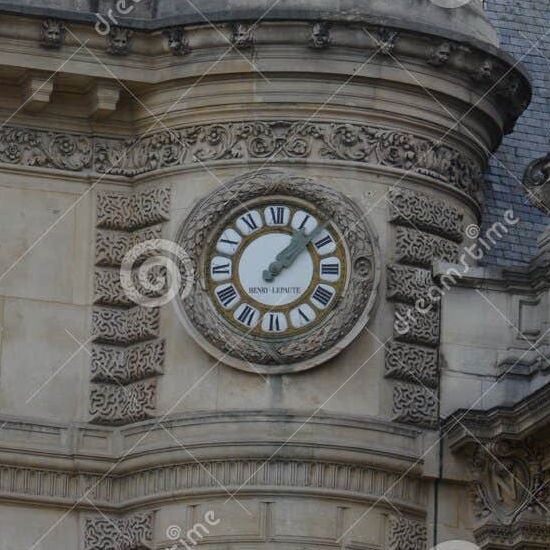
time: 1:07
